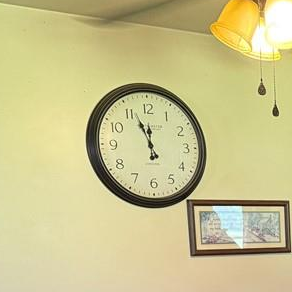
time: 11:56
